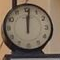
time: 12:01
